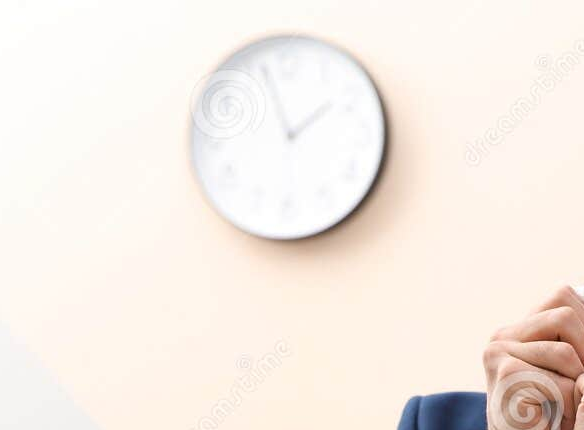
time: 1:56
